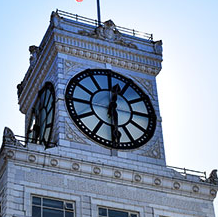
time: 12:28
